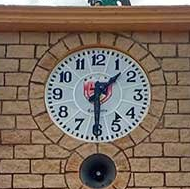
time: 1:30
